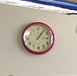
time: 1:06
